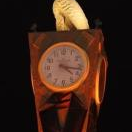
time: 4:16
